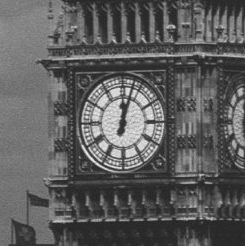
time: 12:02
